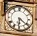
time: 6:21
